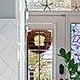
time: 5:59
